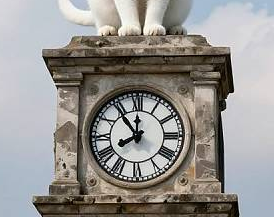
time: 11:53
